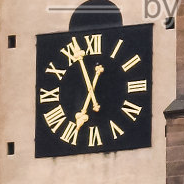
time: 6:56
